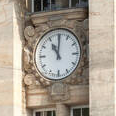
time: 11:00
